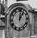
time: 1:01
